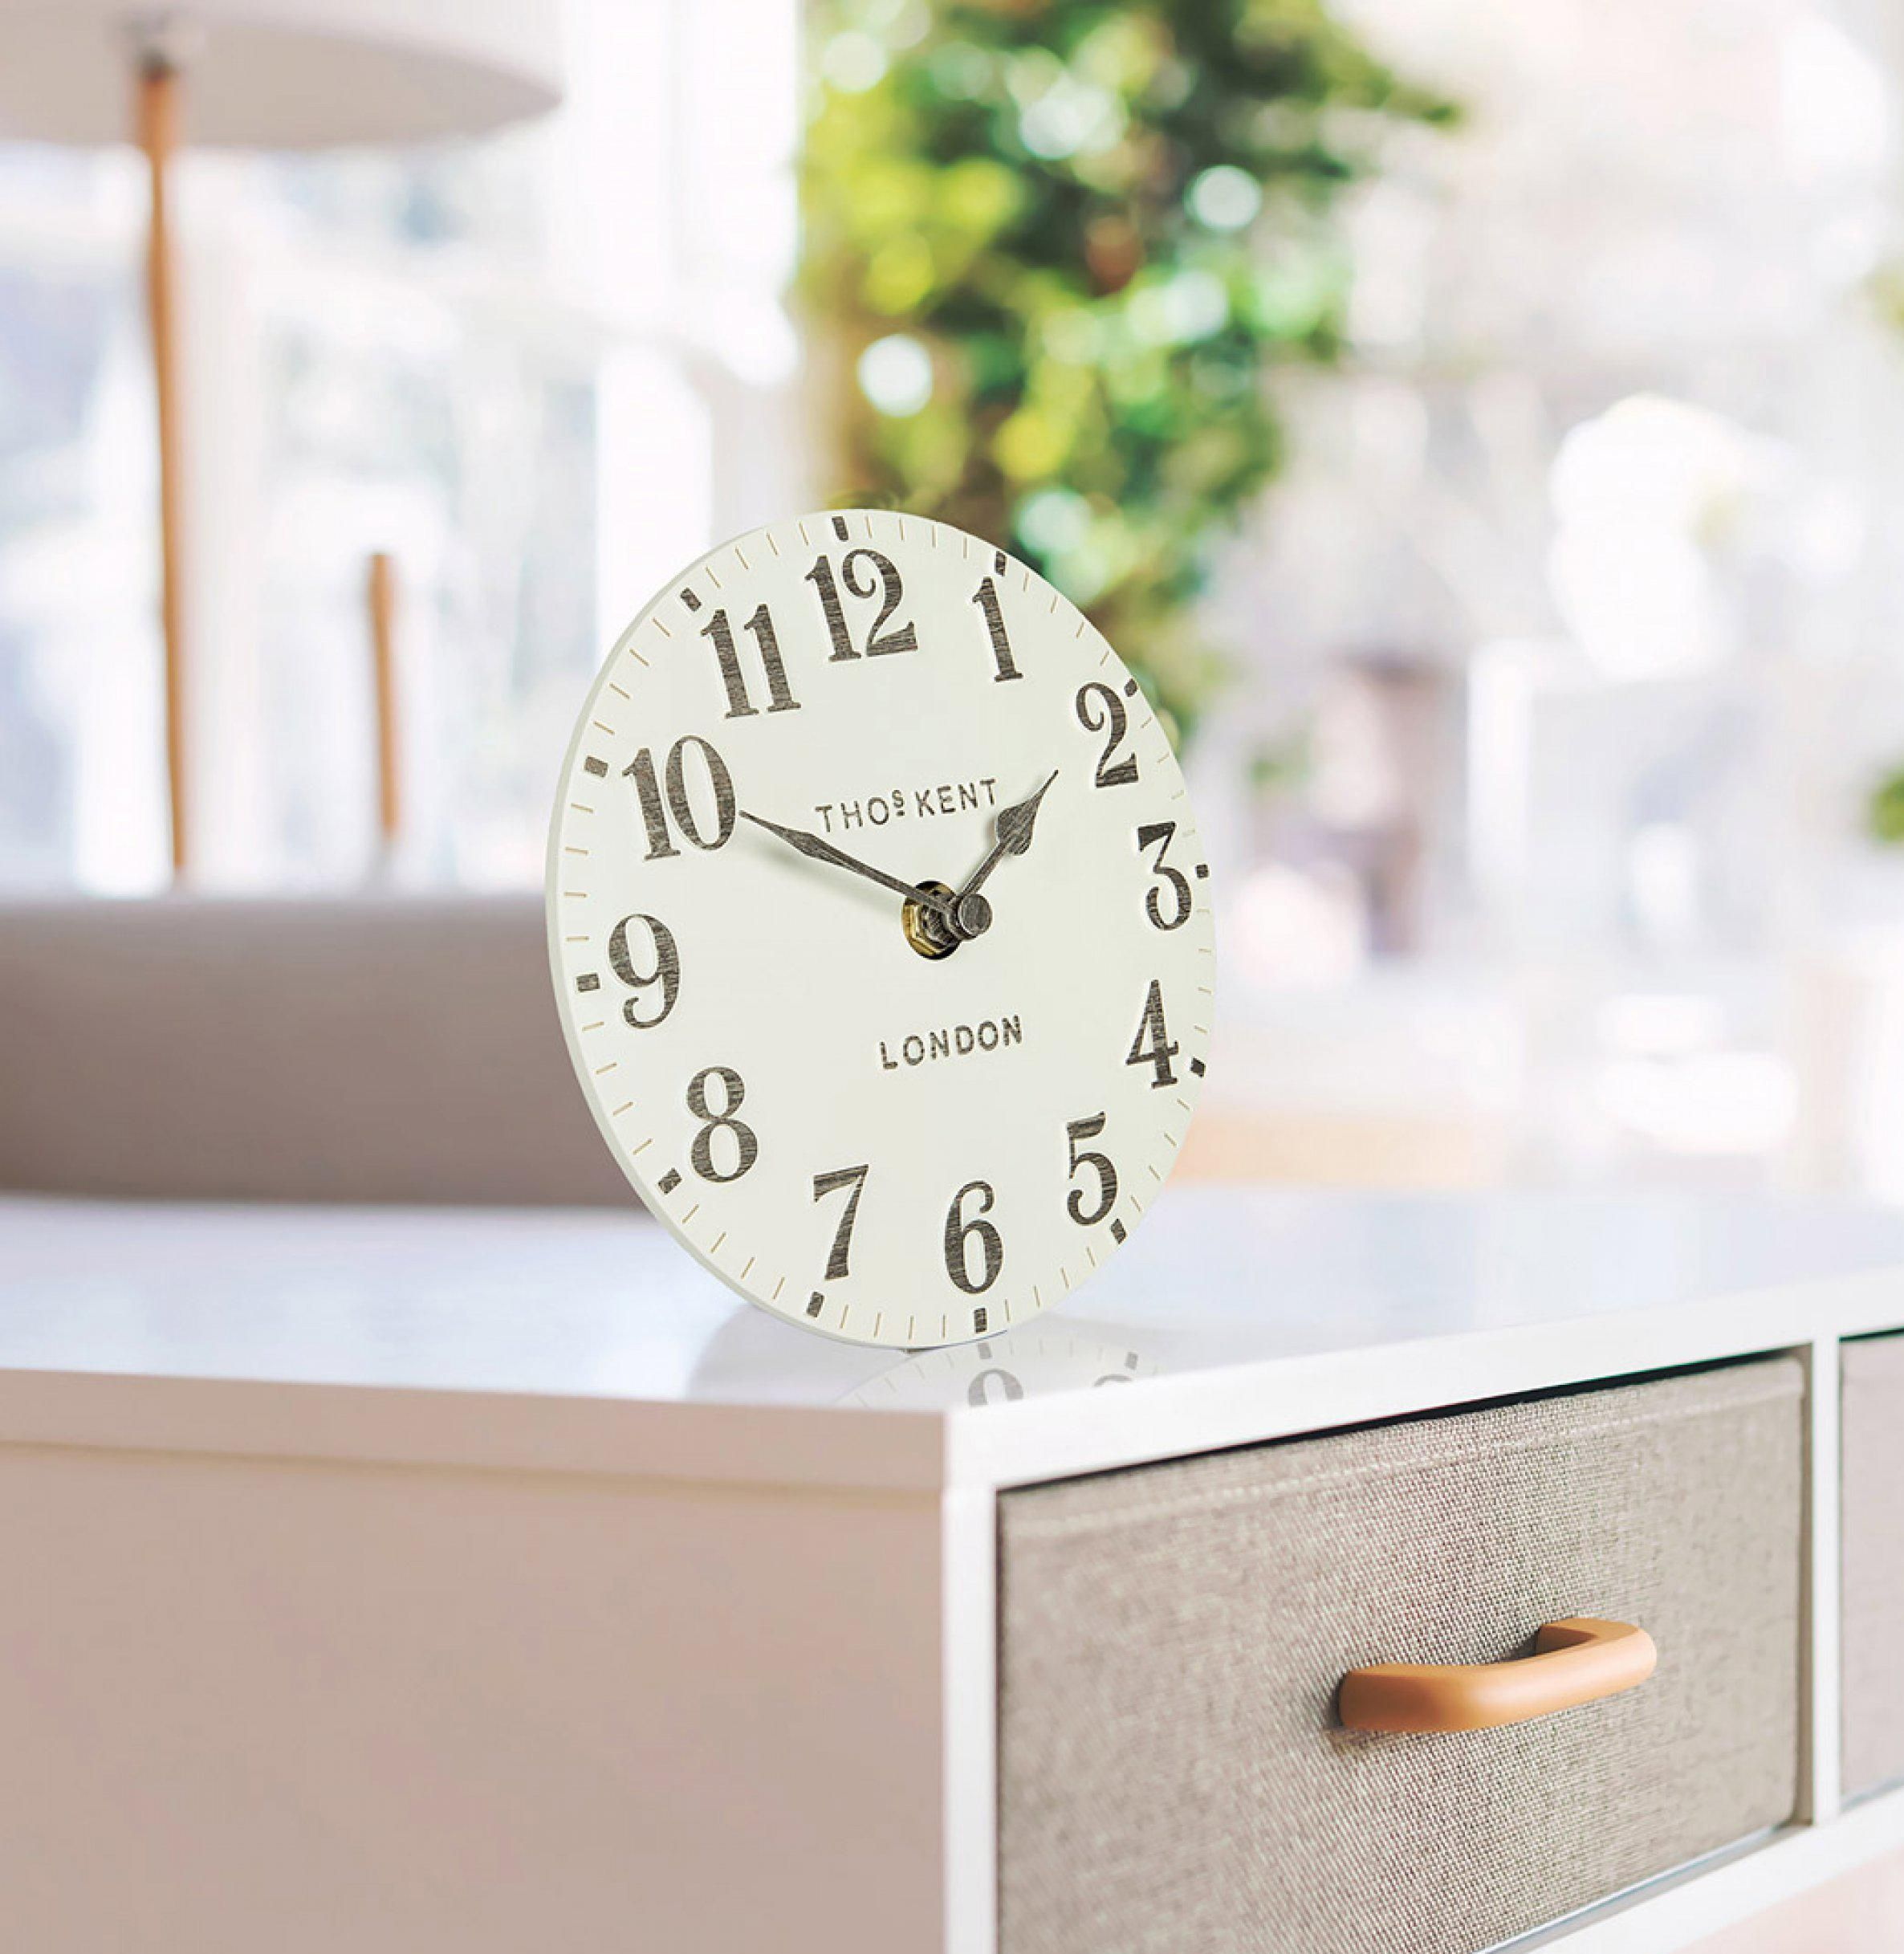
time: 1:50
